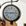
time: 2:45
